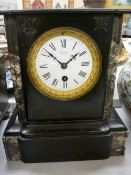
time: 1:52
